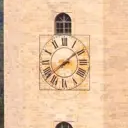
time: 1:38
